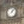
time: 8:07
